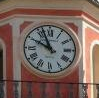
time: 9:56
